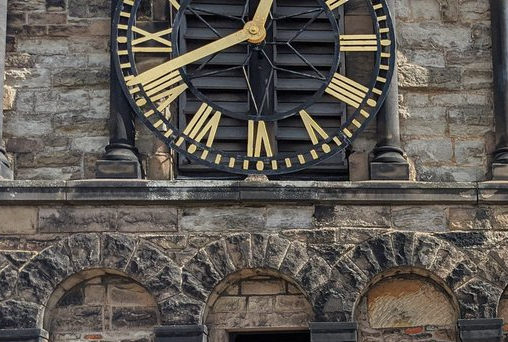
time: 12:41
